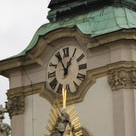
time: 12:55
